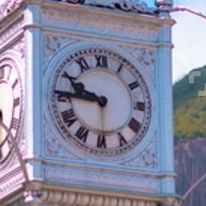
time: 9:45
